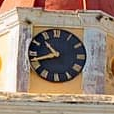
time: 10:42
